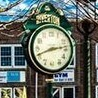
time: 2:41
